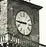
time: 8:45
